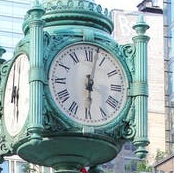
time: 6:02
